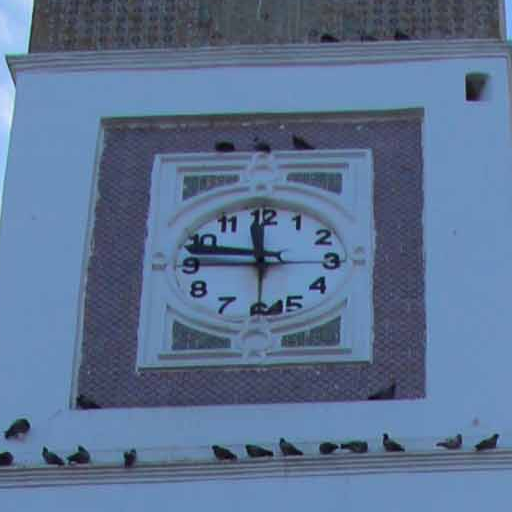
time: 11:46
